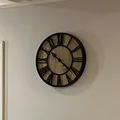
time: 10:21
